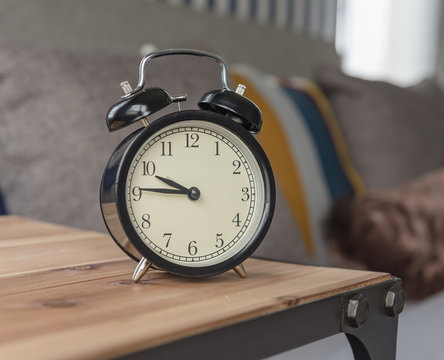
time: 9:45
